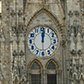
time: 12:01
